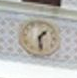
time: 1:28
